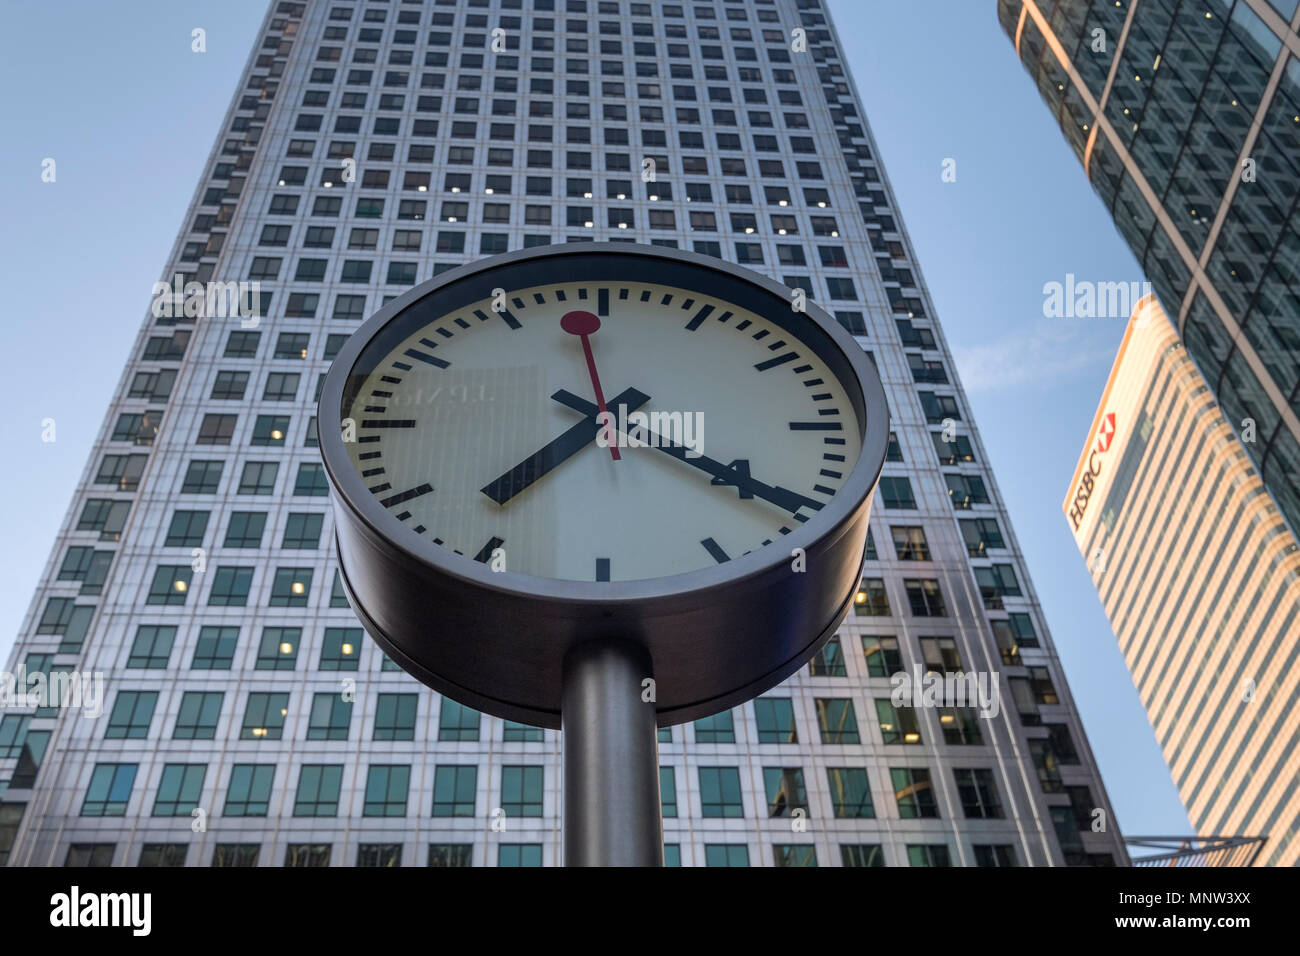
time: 7:19
